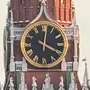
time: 4:01
